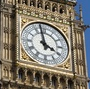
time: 3:58
